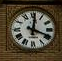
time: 12:18
